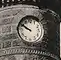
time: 9:50
